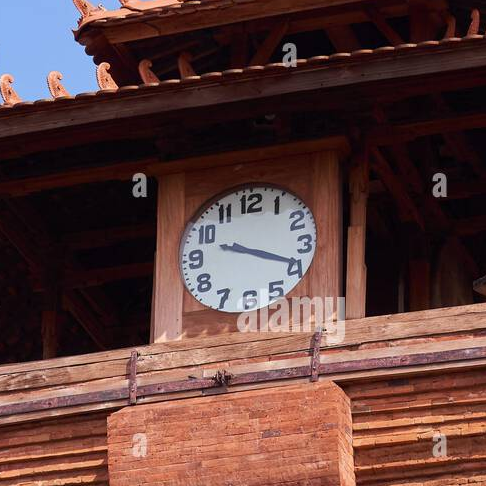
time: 9:18
